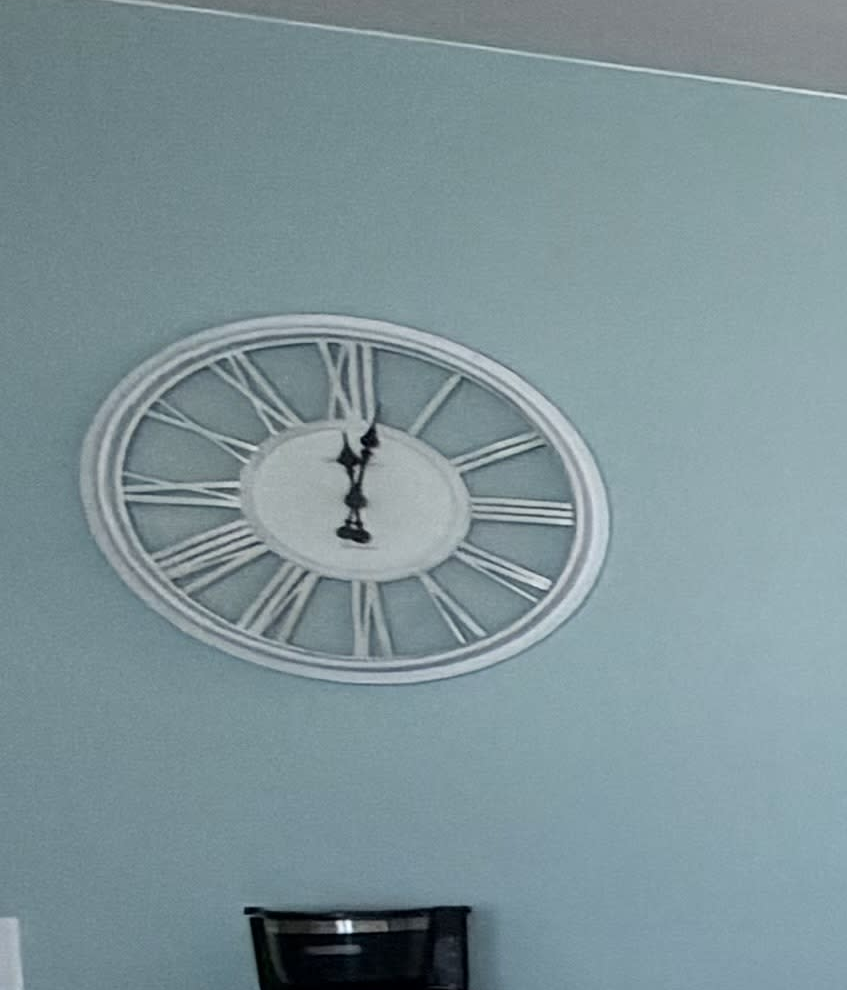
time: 12:01
